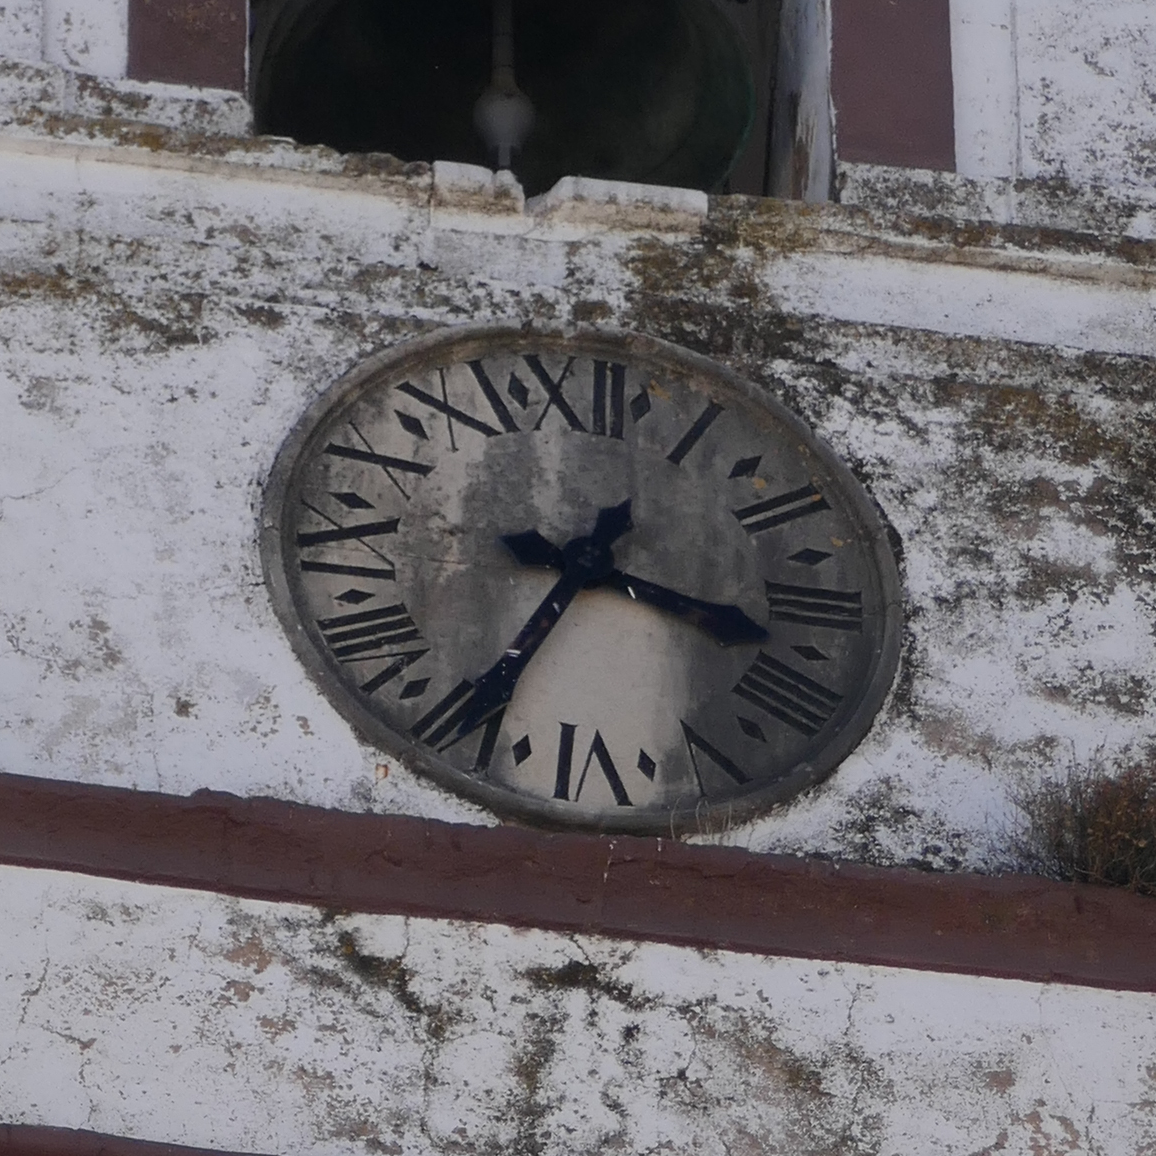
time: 3:34
